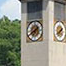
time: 1:40
